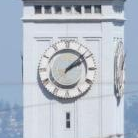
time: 2:08
